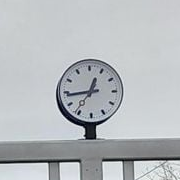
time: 12:44
